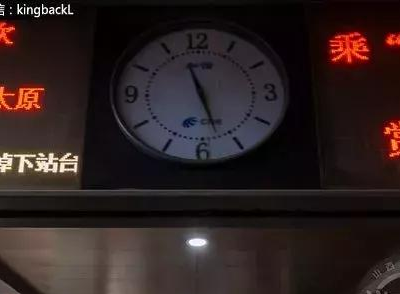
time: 11:27
